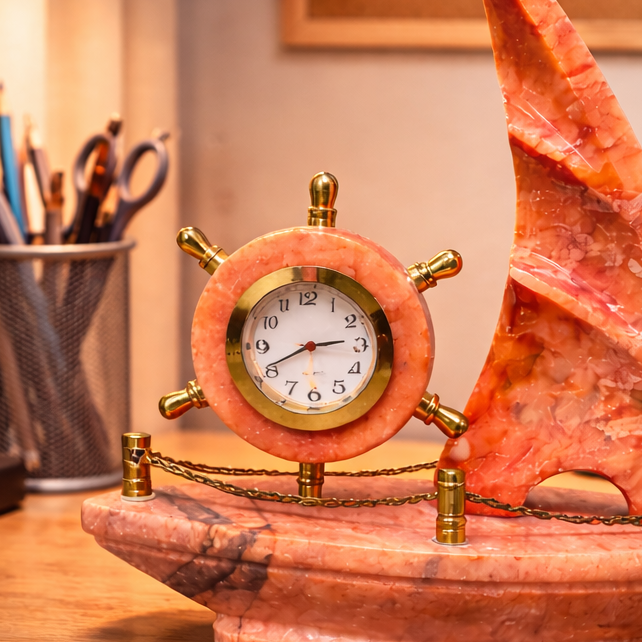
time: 2:40
